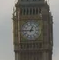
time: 12:45
